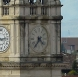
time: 4:35
